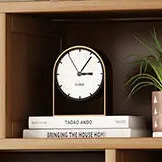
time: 3:05
